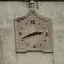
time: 2:41
